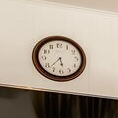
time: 5:37
